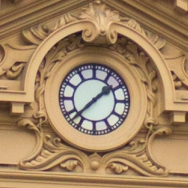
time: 1:37
